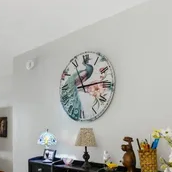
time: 1:13
